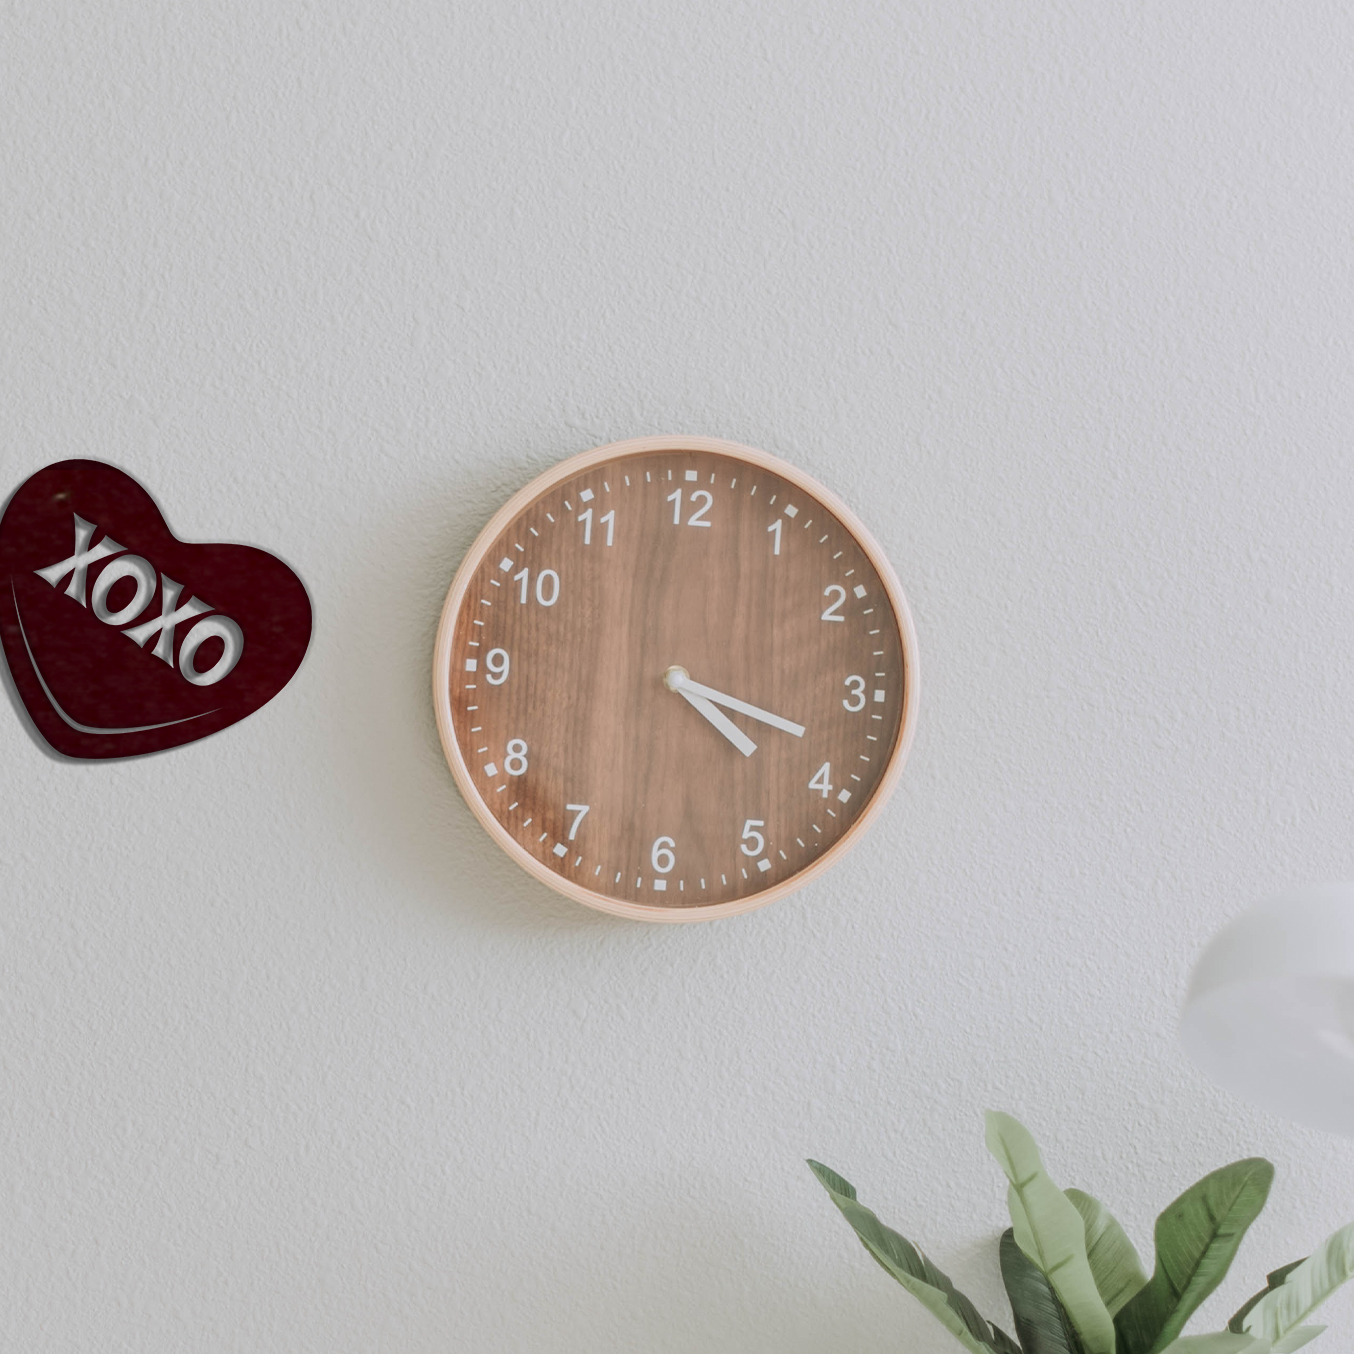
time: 4:18
